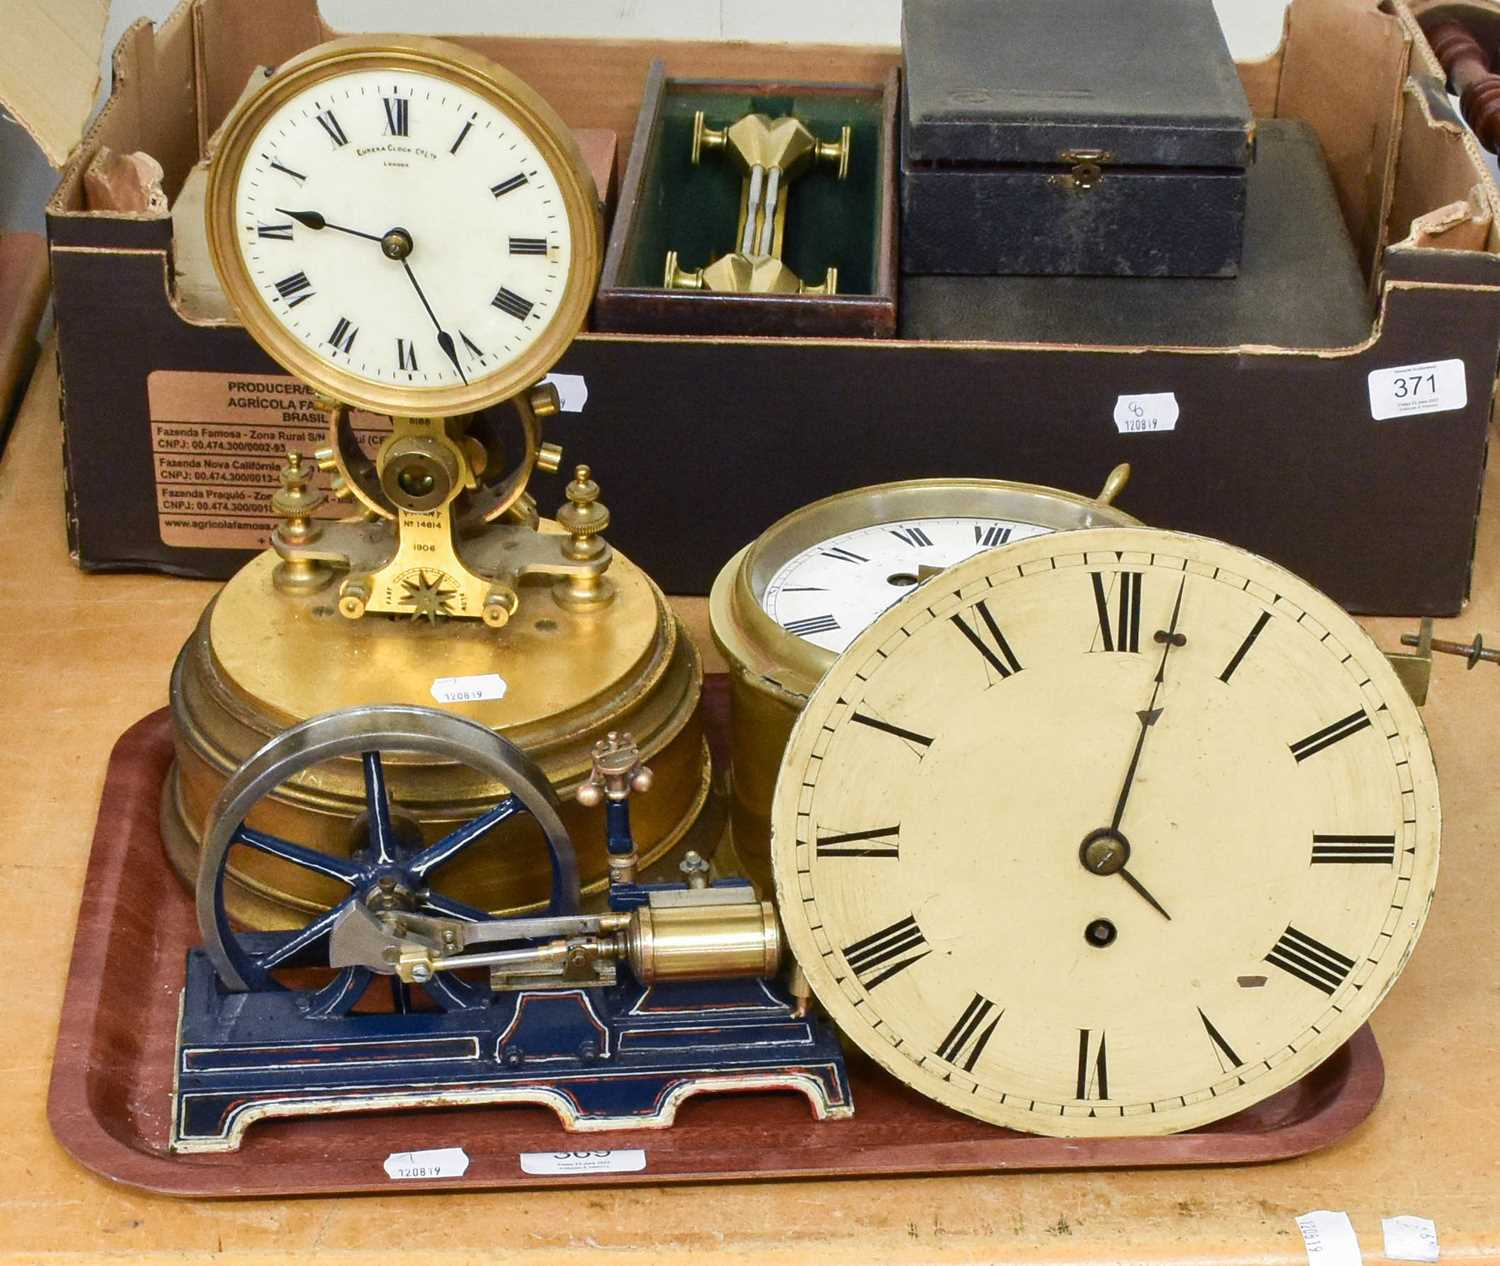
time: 9:25
